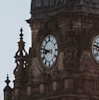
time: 8:47
